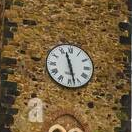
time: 11:27
